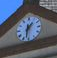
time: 1:32
